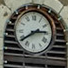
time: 2:39
